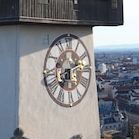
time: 7:11
